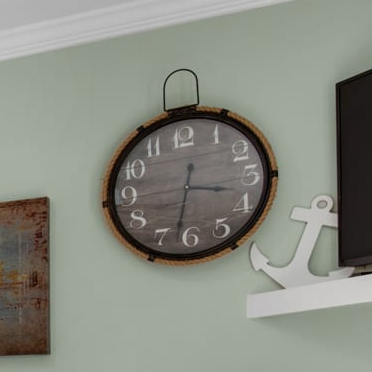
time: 3:32
